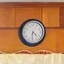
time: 4:31
